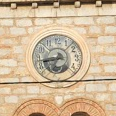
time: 6:43
